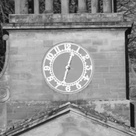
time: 12:32
